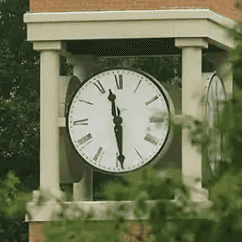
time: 11:29
